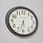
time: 5:32
